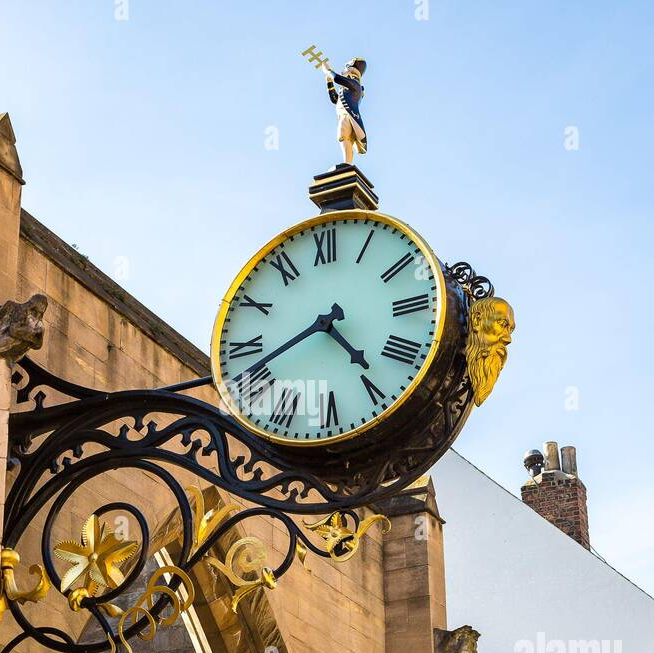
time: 4:41
